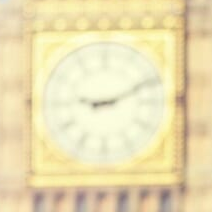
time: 9:11
